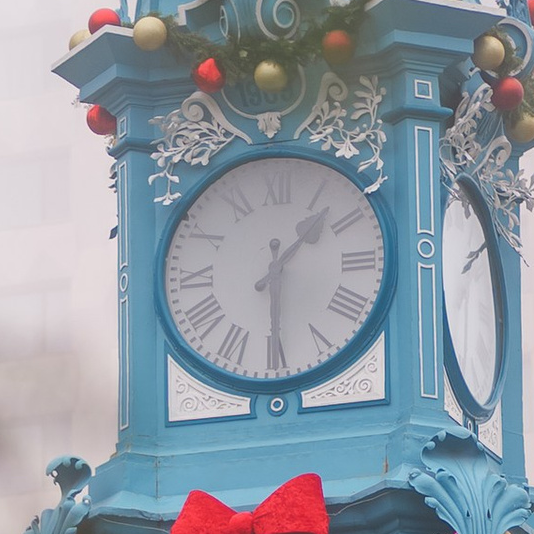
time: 1:29
